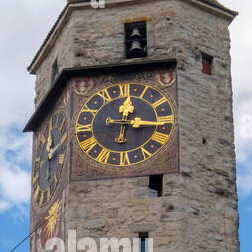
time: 12:15
